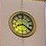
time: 8:20
